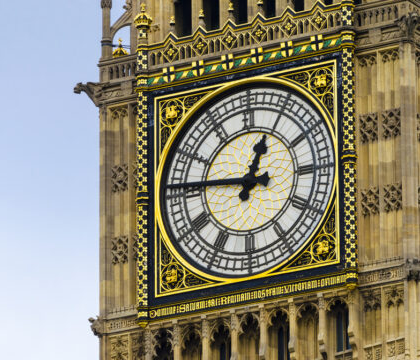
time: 12:46
